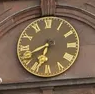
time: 6:41
